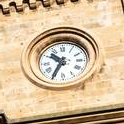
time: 10:34
